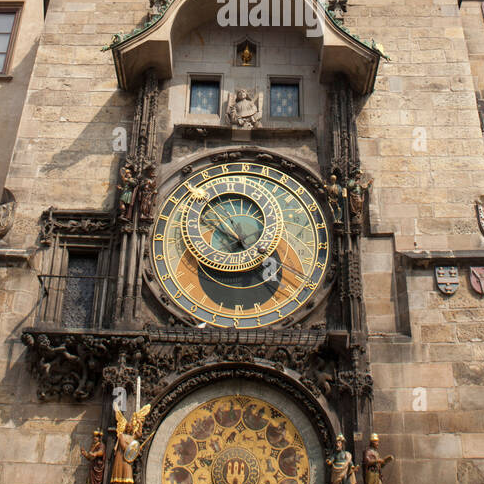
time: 4:52
